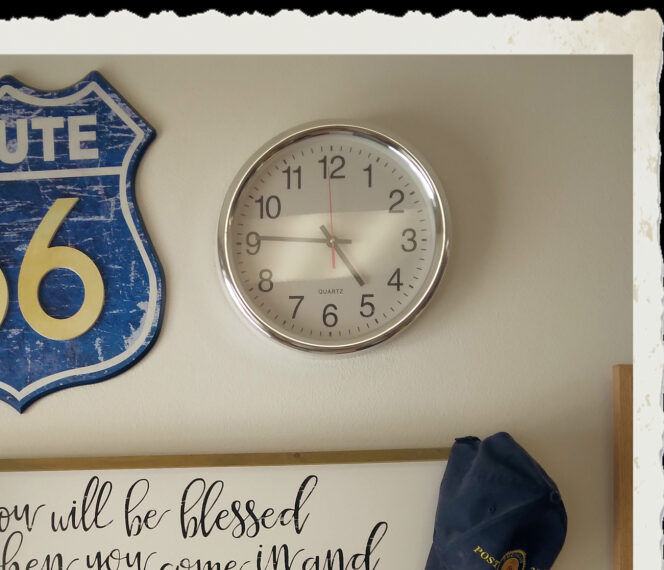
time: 4:45
